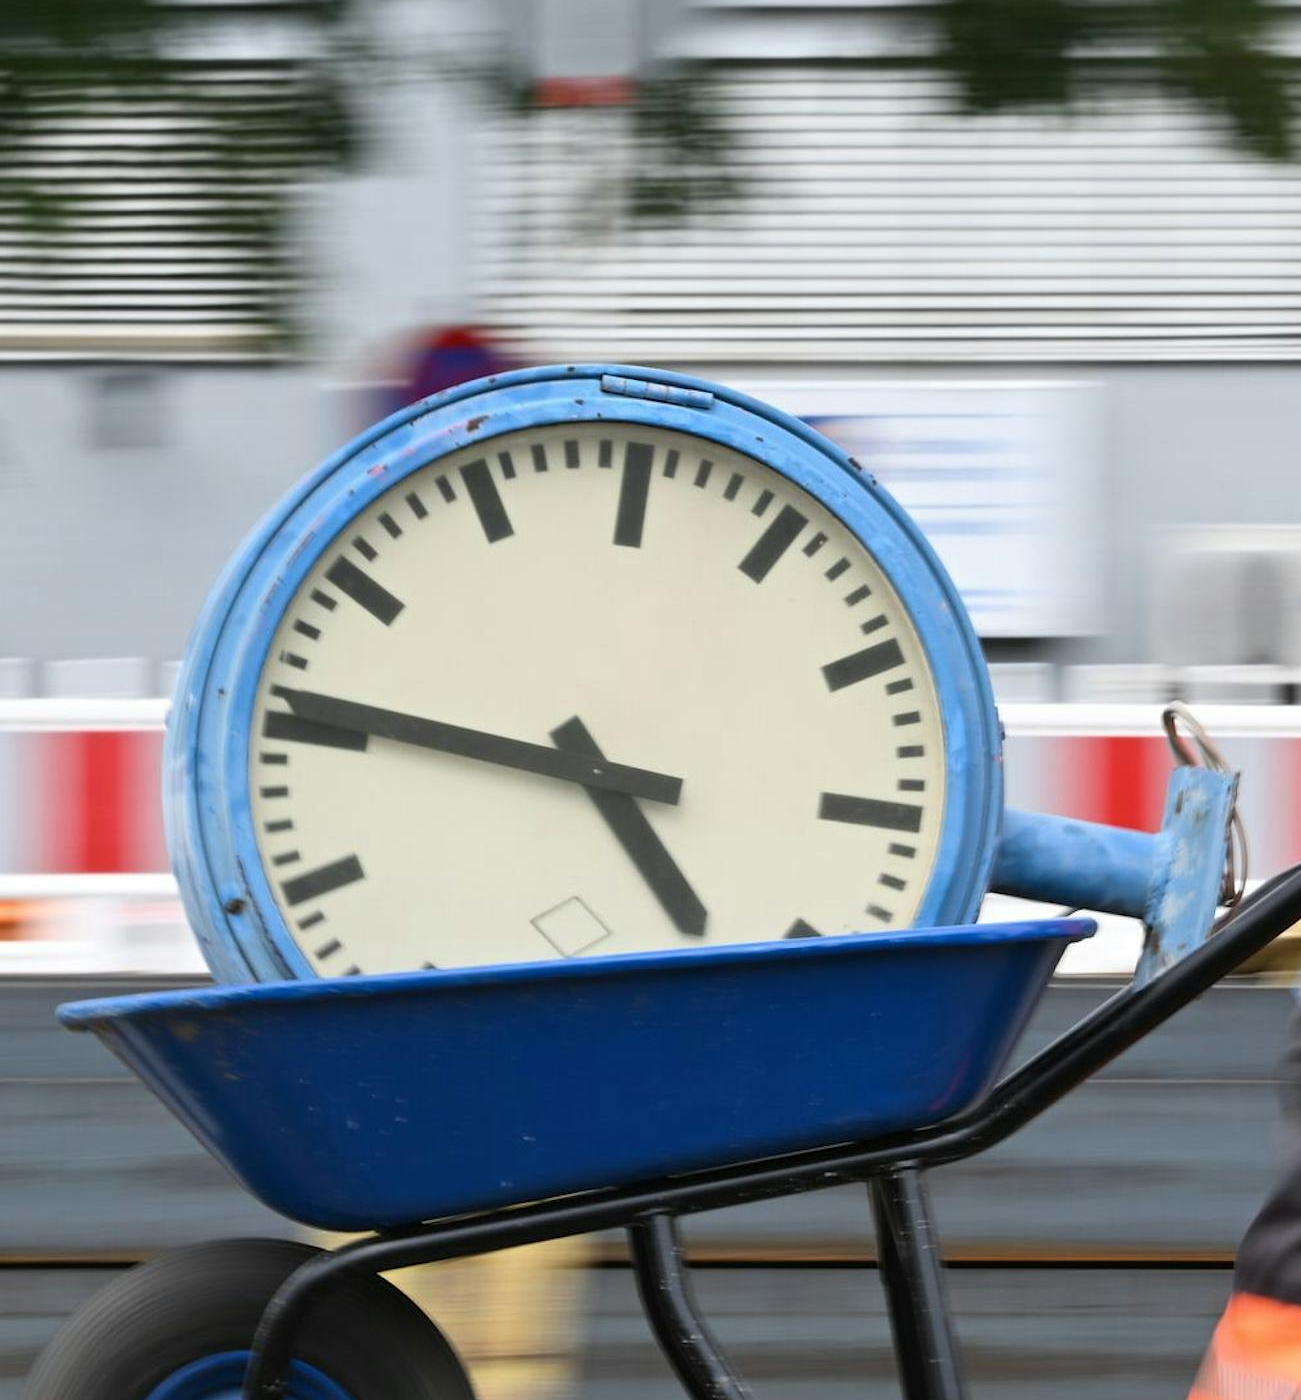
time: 4:46
